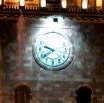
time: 9:39
